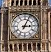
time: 3:04
